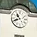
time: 10:41
